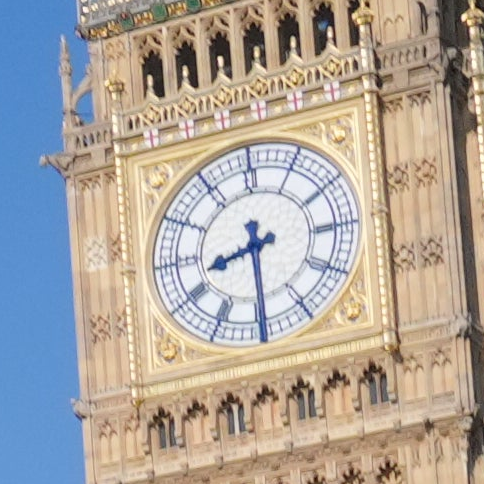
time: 8:29
